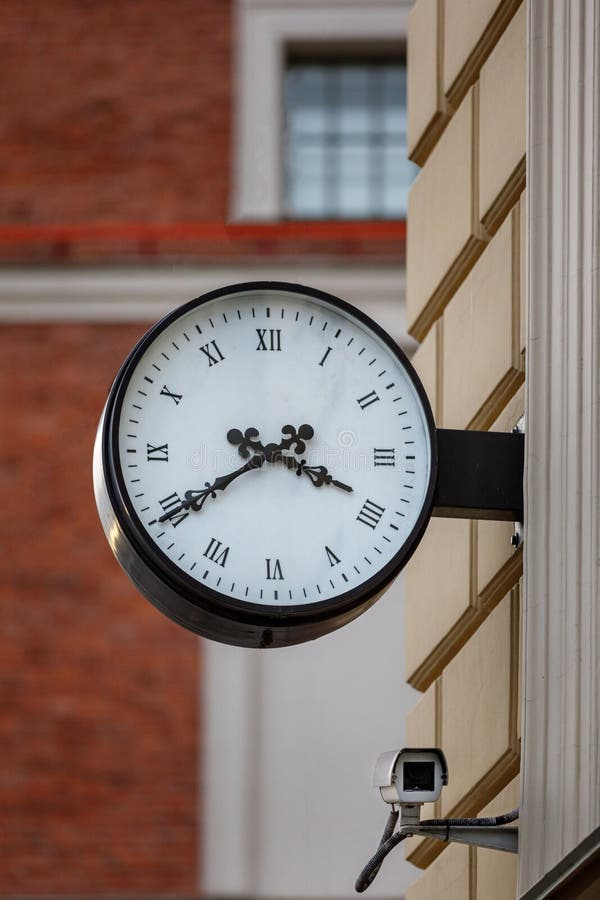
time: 3:39
